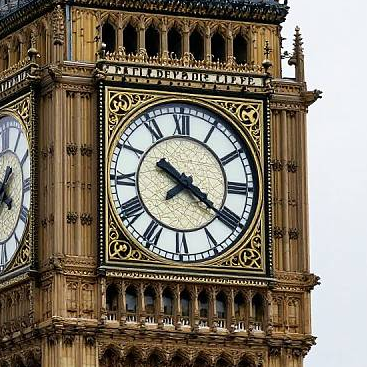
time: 10:20
